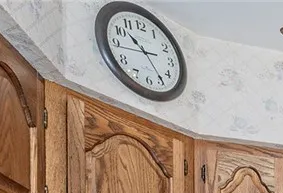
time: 10:24
